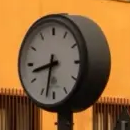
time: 8:32
